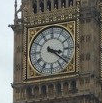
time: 3:21
